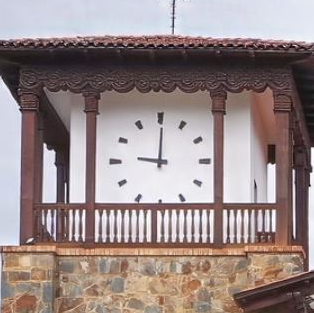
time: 9:00
